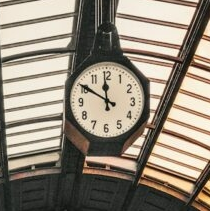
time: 11:50
